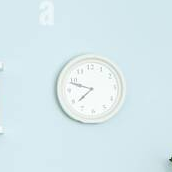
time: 7:48
